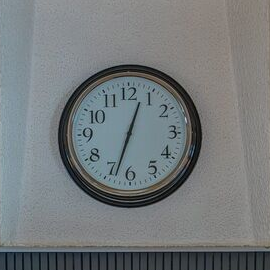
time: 12:33
